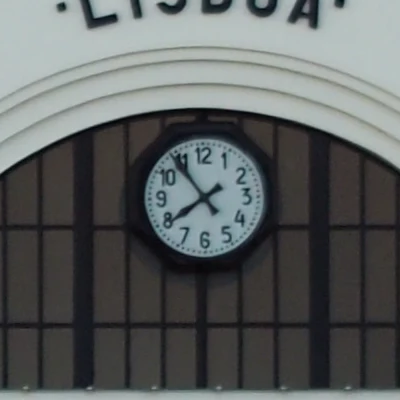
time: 7:53
